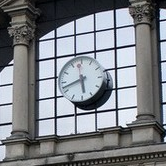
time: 5:42
